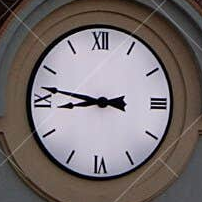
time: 8:47
